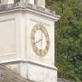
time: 5:40
